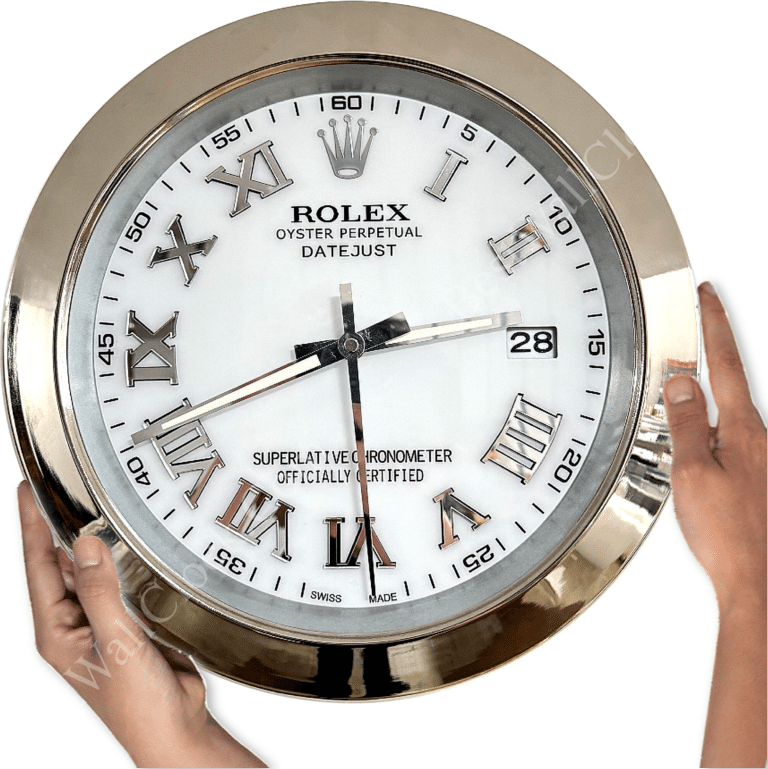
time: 2:29
